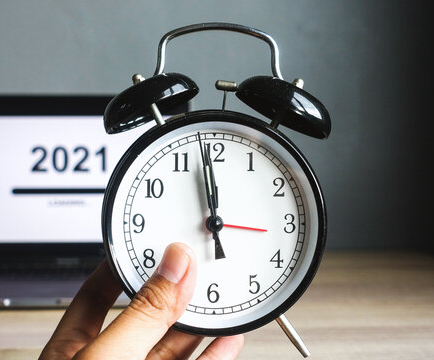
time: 11:58
